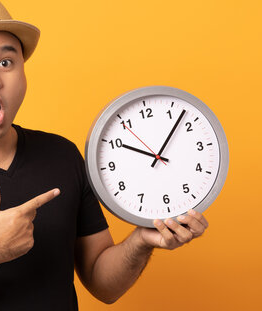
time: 10:07
